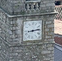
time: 8:12
